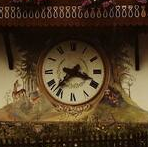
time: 3:37
